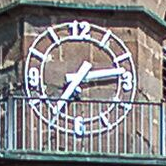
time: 1:13
